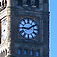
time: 9:09
